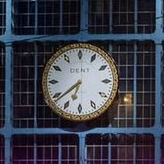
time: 6:38
